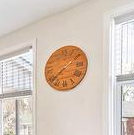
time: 1:38
